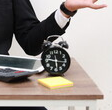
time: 5:46
